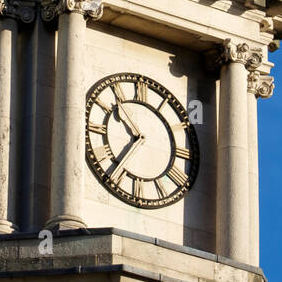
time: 10:36
